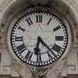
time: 6:22
